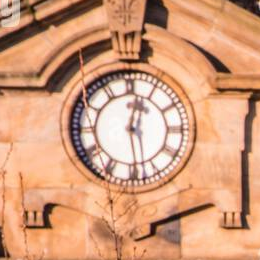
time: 12:28
